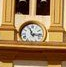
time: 11:16
